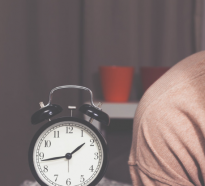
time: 1:43
